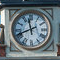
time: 11:41
